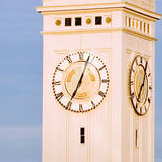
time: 7:03
